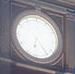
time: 6:23
